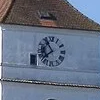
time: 7:54
